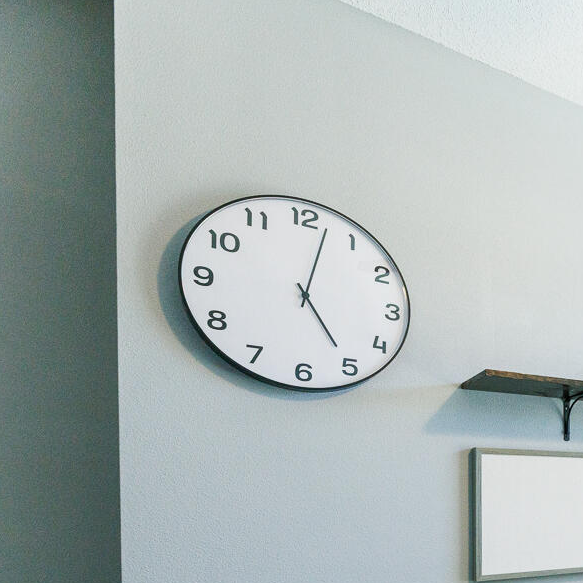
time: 5:02
